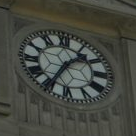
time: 1:35
